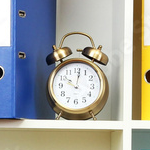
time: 10:01
